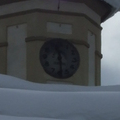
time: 11:29
